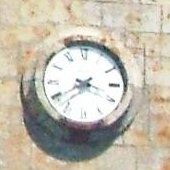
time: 3:40
